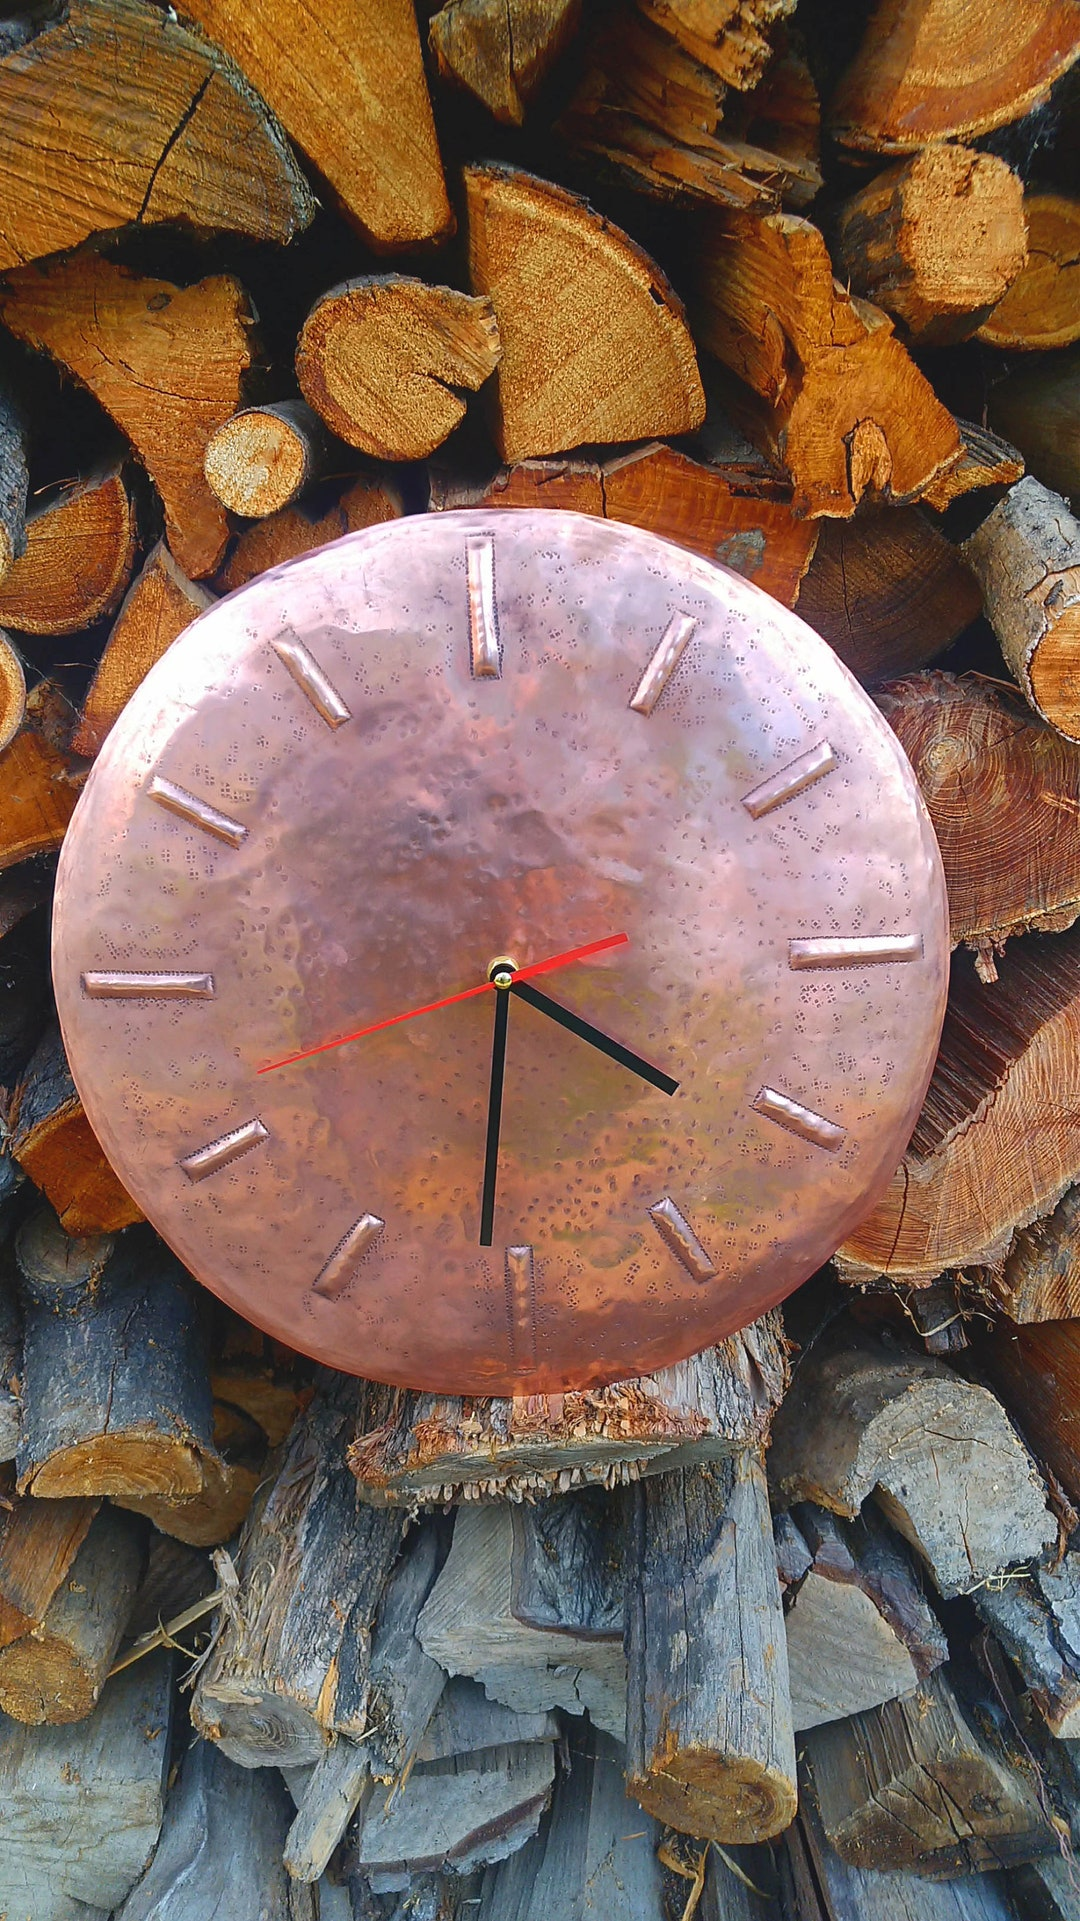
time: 4:31
